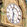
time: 11:32
